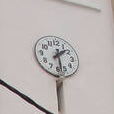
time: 1:28
